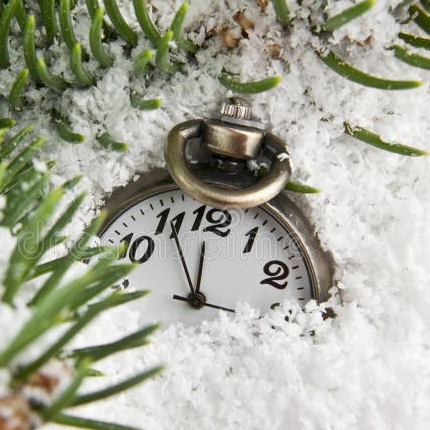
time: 11:55
